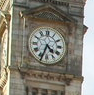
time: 4:33
